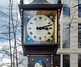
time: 3:12
